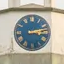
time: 3:12
